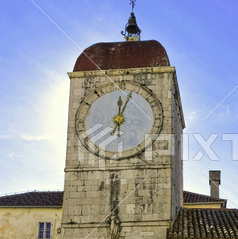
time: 12:03
